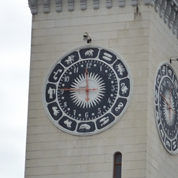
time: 11:46
